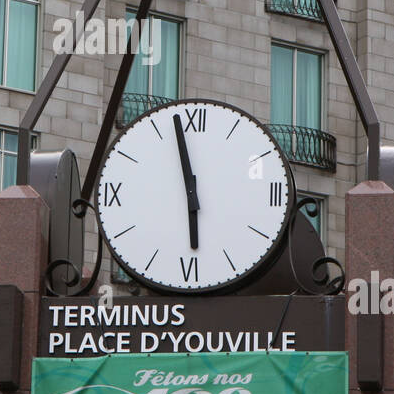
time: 5:57
